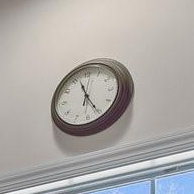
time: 11:25
